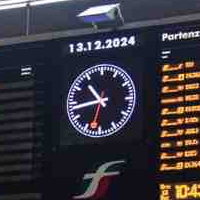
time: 10:43
